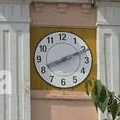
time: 8:11
